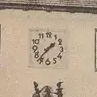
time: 1:36
